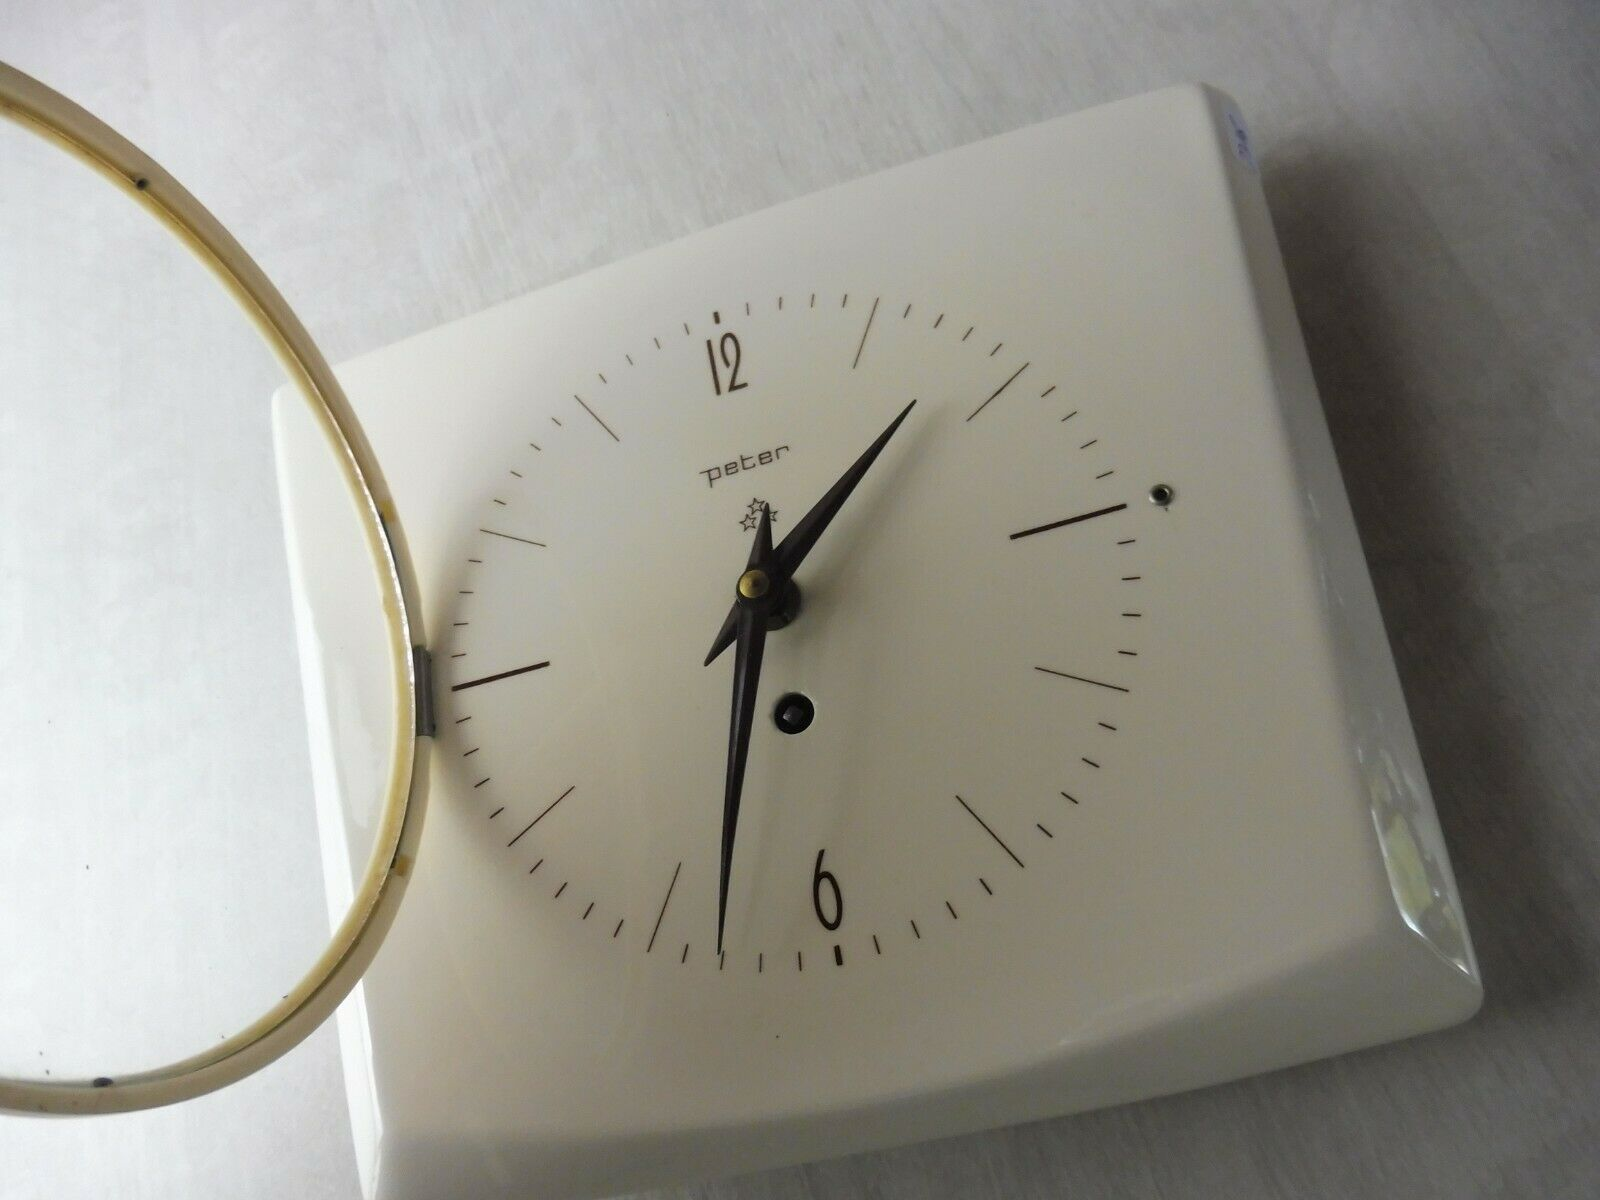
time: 1:33
